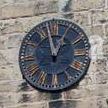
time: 12:58
